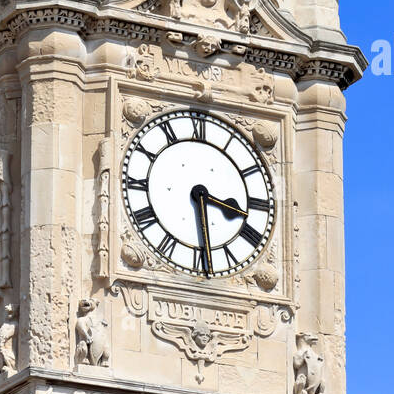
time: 3:29
